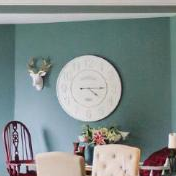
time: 4:14
